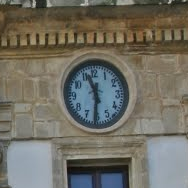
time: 11:31
